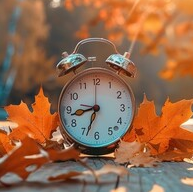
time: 8:33
